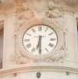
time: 6:29
